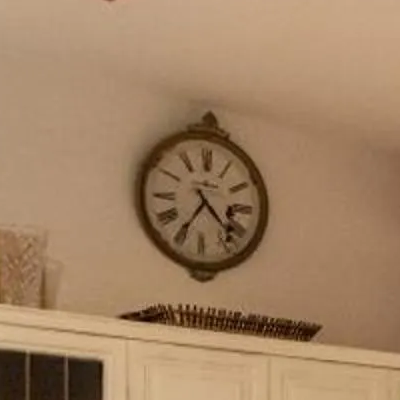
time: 4:35
